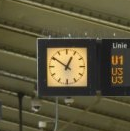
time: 12:50
